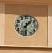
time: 1:30
